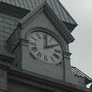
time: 2:01
